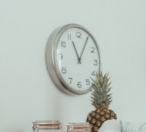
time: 11:05
